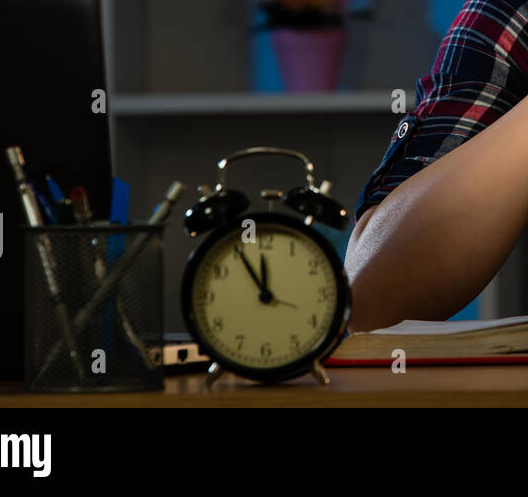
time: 11:55
